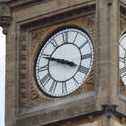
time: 3:48
